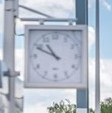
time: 10:49
